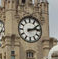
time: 2:13
